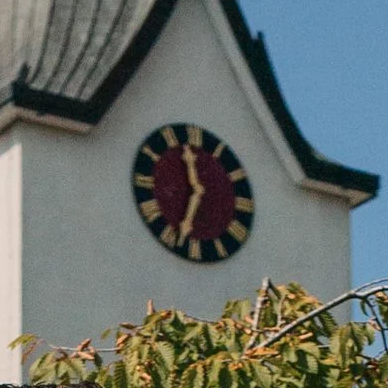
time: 11:33
